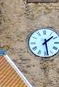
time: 1:28
